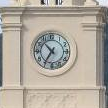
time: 10:35
